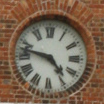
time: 4:47
